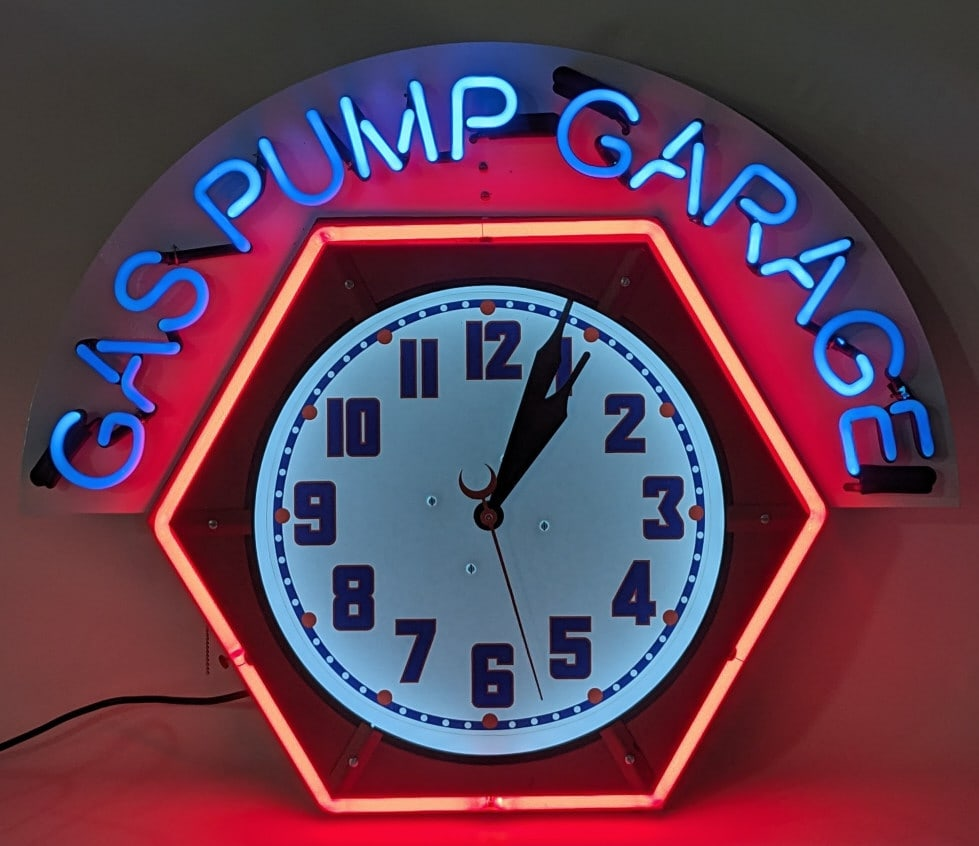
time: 1:03
